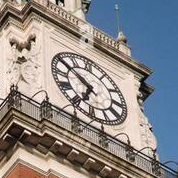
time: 6:50
